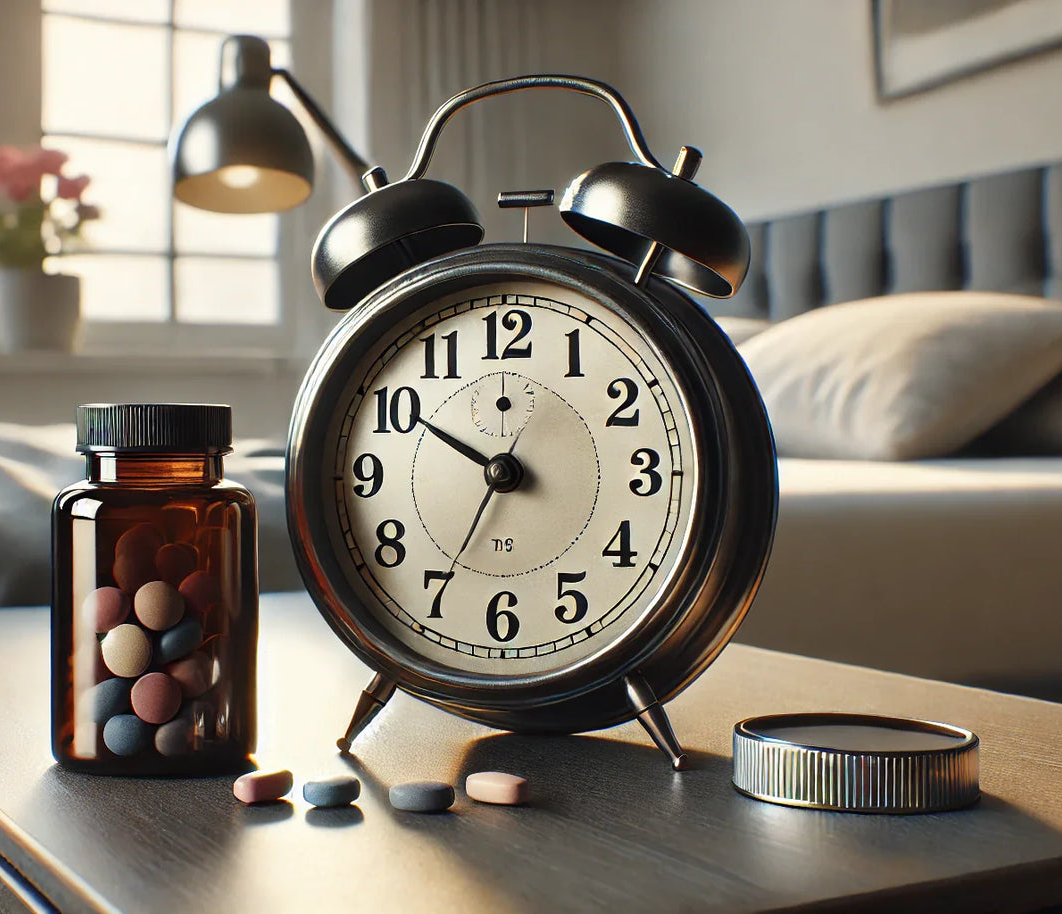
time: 6:50
